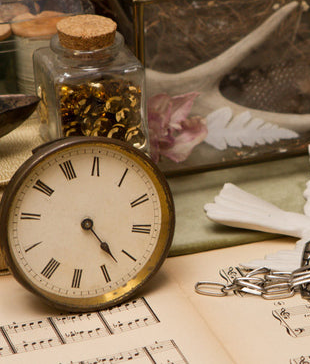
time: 4:22
